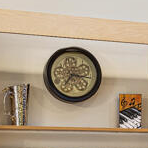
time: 7:15
